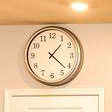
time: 1:21
